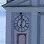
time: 12:59
